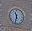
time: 11:32
